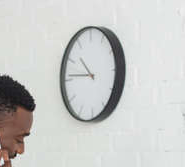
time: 10:45
